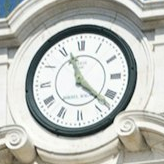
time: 11:22
